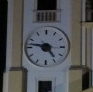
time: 4:46
